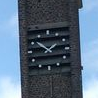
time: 1:51
